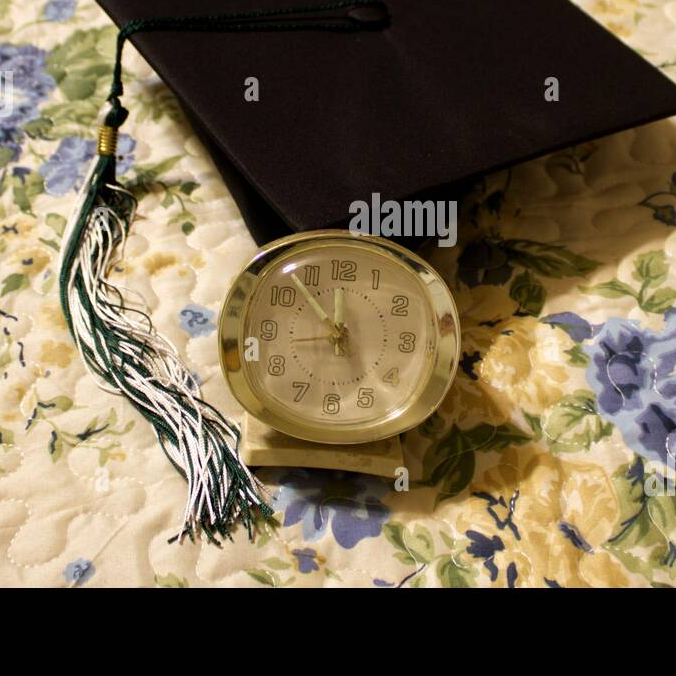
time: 8:53
